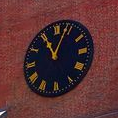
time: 11:03
